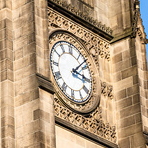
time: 3:07
